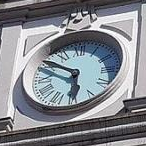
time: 5:50
